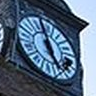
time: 4:57
